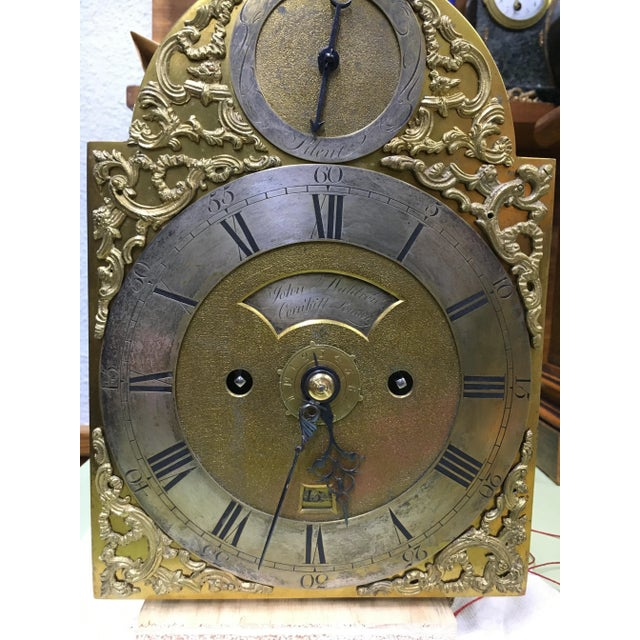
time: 5:32
